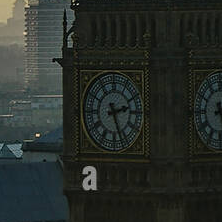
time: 2:26
